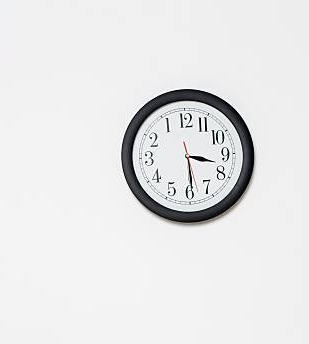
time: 3:29
